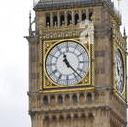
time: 11:22
